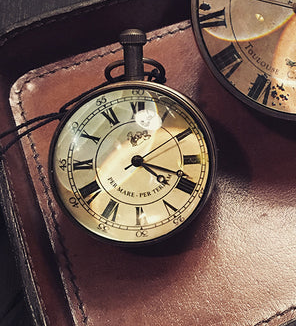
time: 4:18
